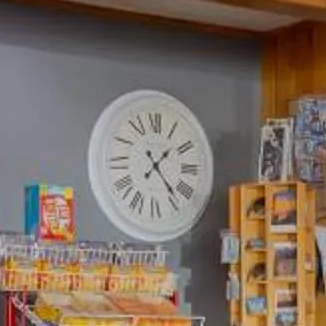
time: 1:23
